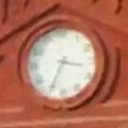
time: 3:34
